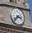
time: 3:37
